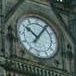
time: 10:06
